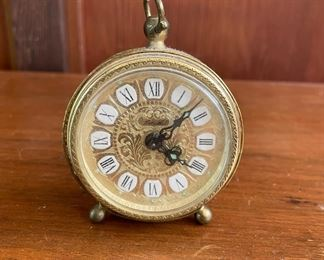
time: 4:07
